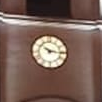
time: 10:15
